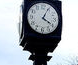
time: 4:04
